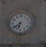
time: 6:38
